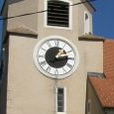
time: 1:13
